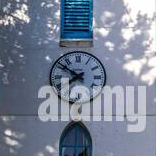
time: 7:50
